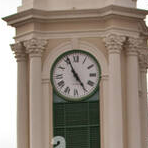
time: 4:55
